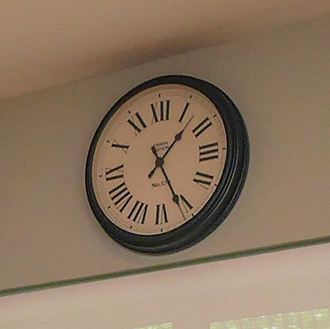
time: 1:26
